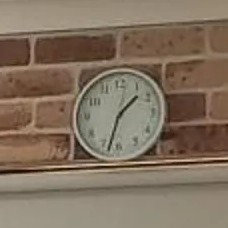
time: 1:32
